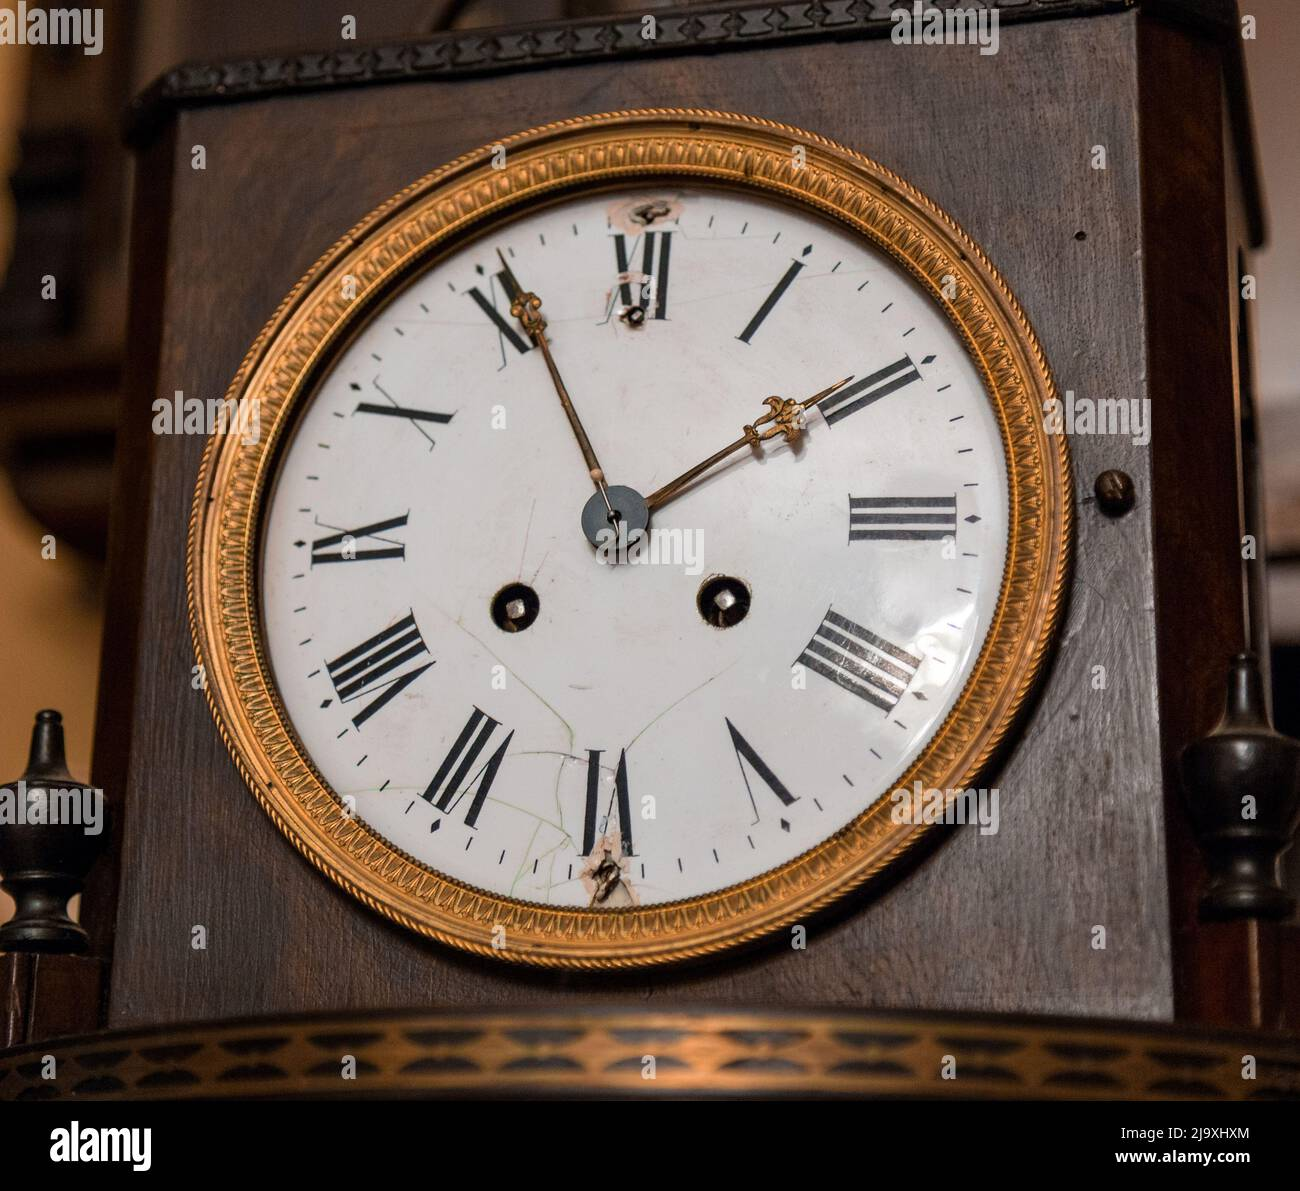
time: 1:55
